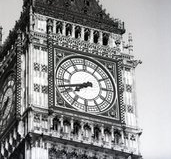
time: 7:42
